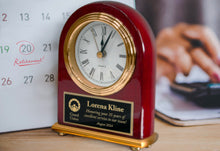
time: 12:04
